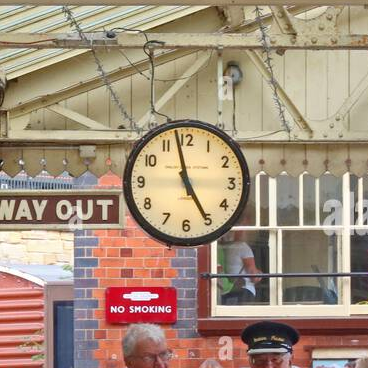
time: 4:57
